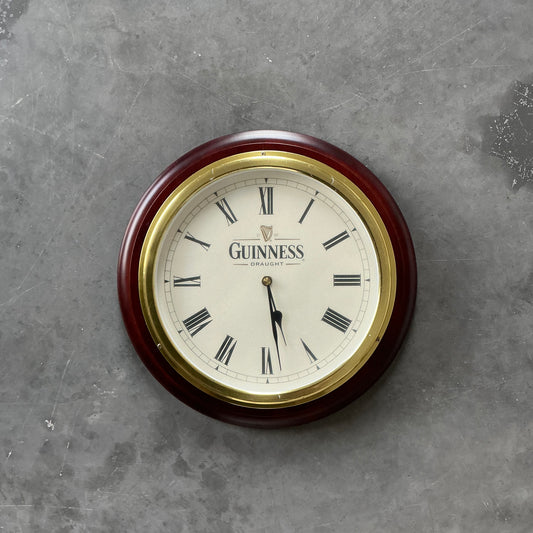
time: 5:28
